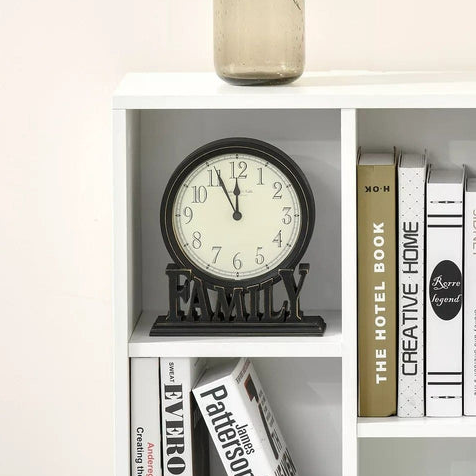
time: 11:55
